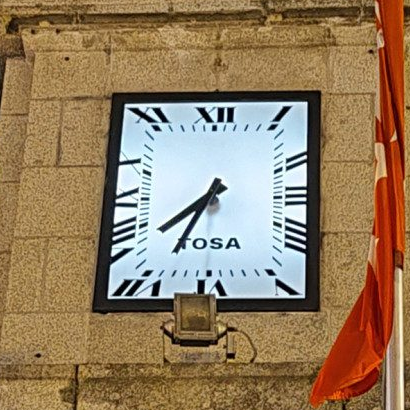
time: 7:34
